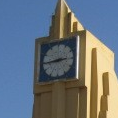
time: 2:44
